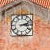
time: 3:12
